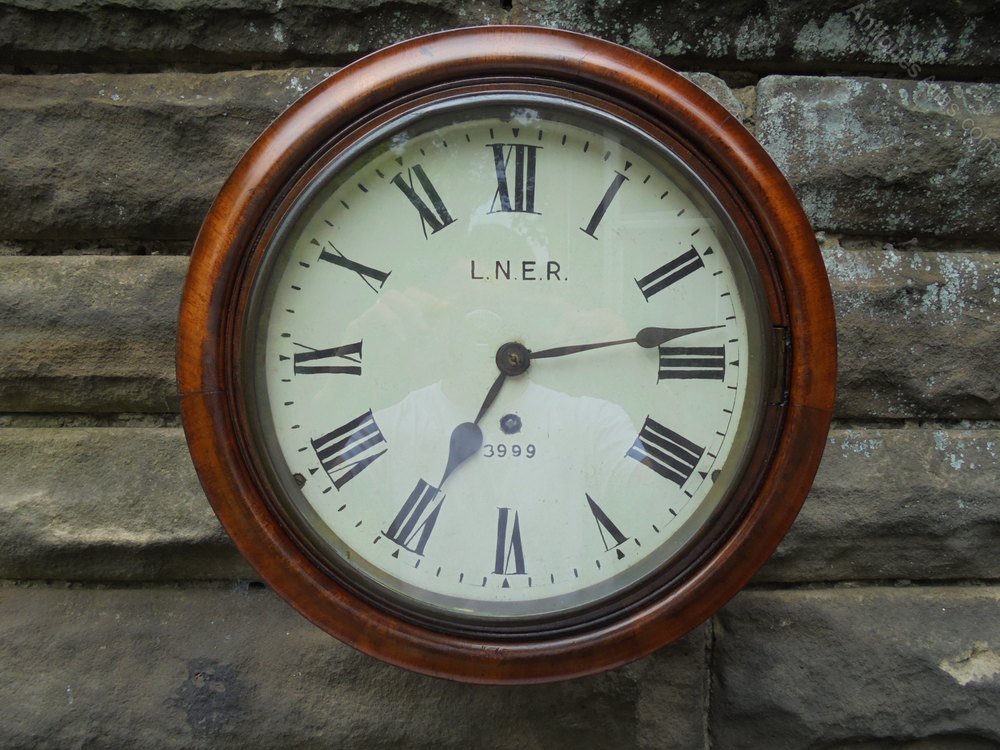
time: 2:34
